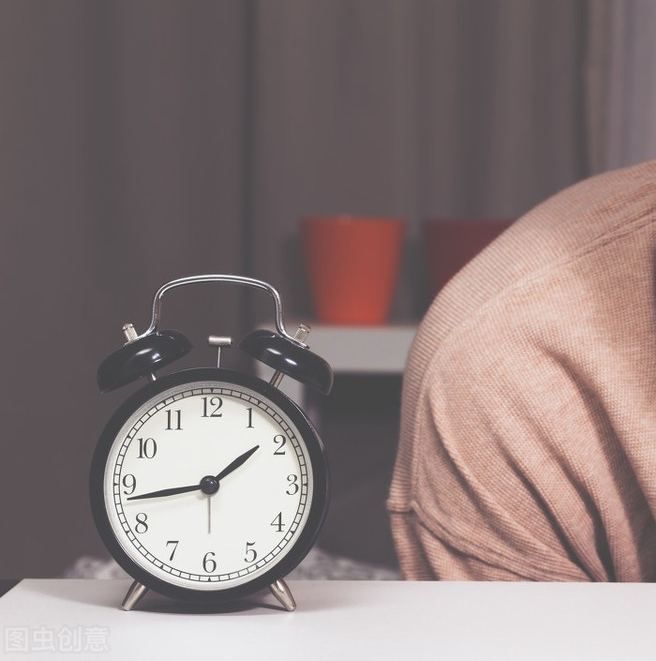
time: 1:43
